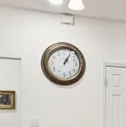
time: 1:05
